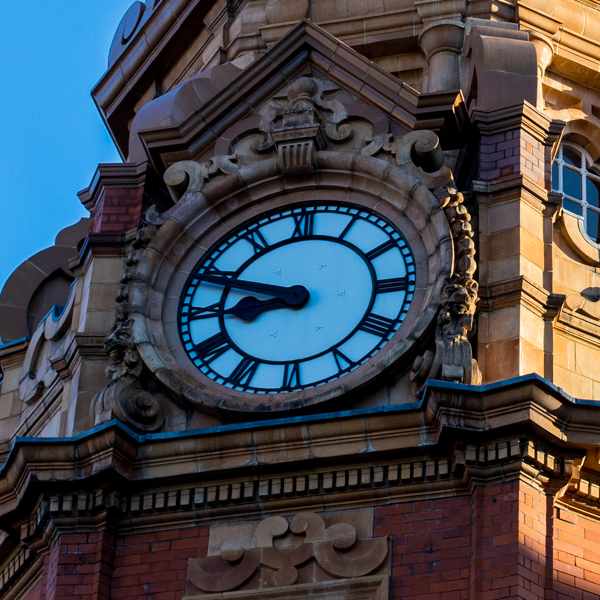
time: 8:48
